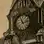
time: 11:12
